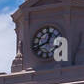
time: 12:41
